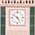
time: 4:50
